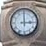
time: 3:00
